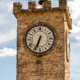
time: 6:34
